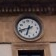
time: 6:42
